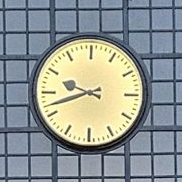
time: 9:42
